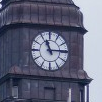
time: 11:14
